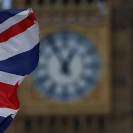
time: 12:55
